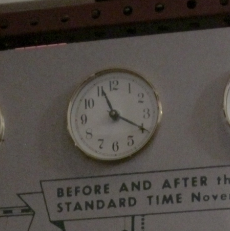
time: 11:19
